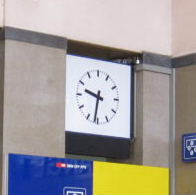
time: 9:31
